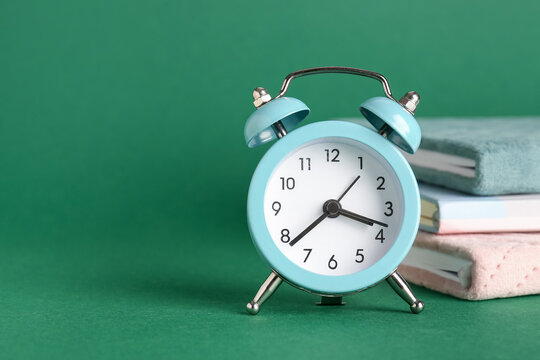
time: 3:38
